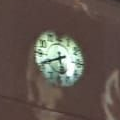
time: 5:41
